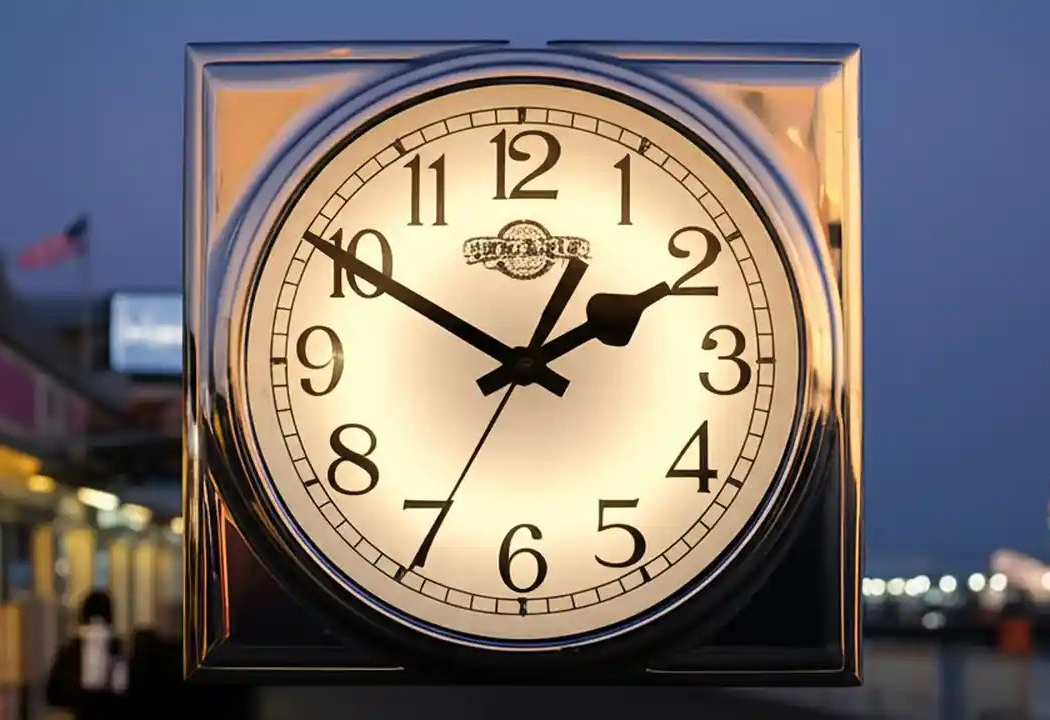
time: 1:50
